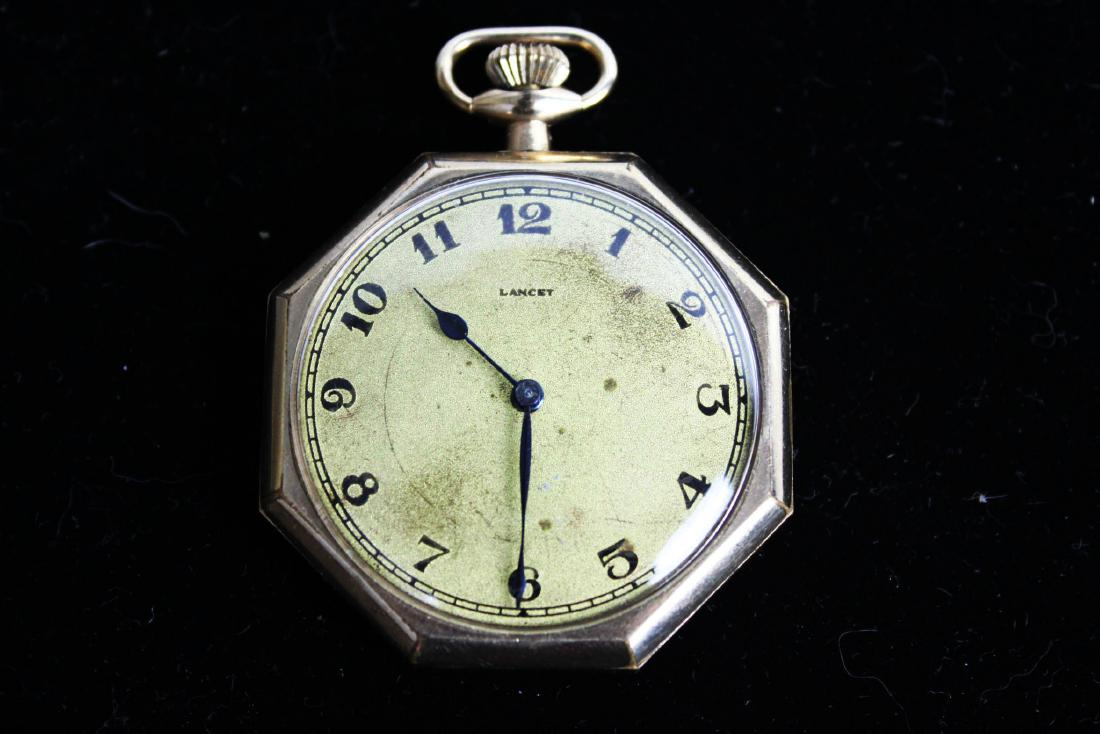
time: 10:30
